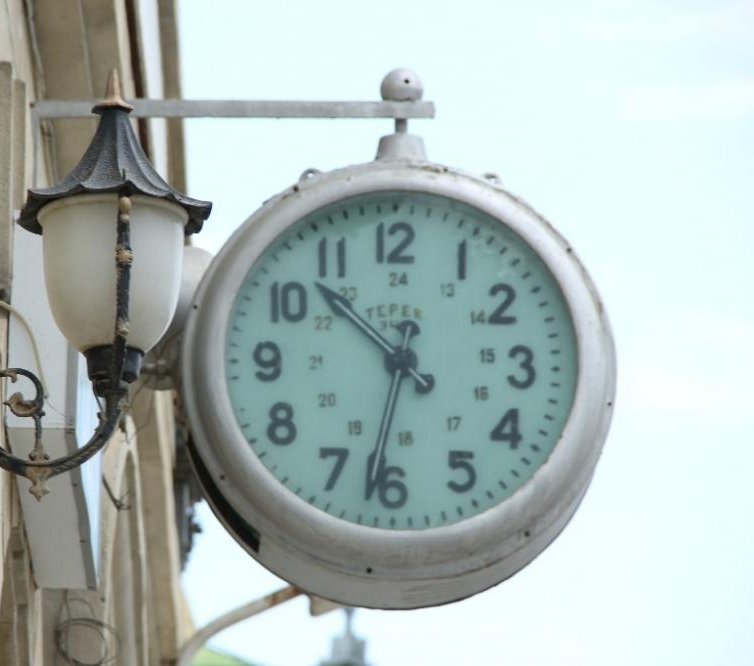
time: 10:32
